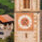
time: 7:24
